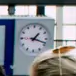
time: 1:18
